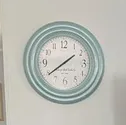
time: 1:39
